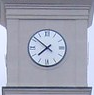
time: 7:51
